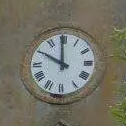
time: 9:59
